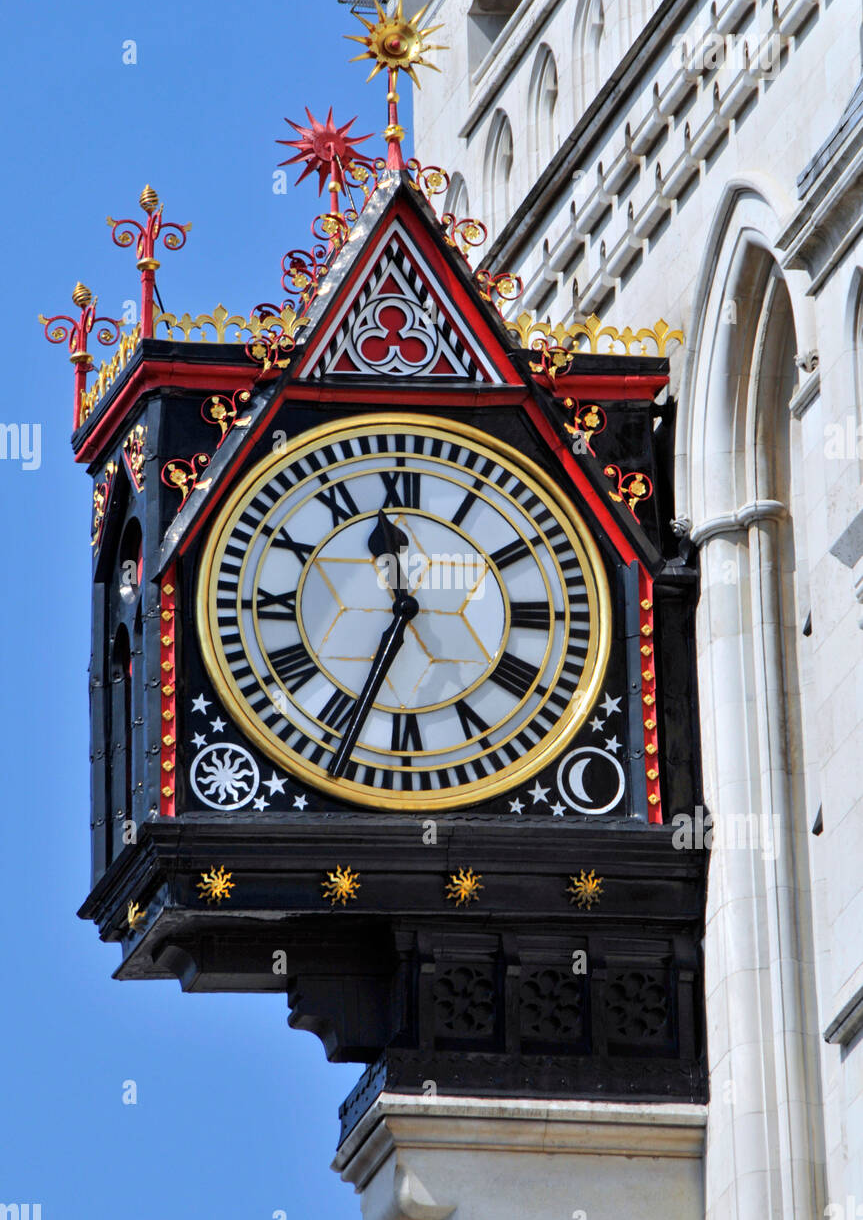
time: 11:33
